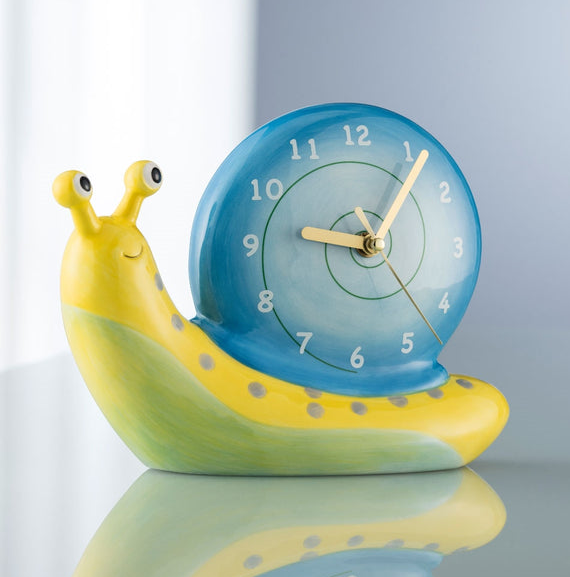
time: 9:06
